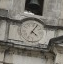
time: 4:04
